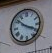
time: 3:51
